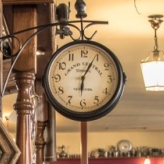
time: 6:04
